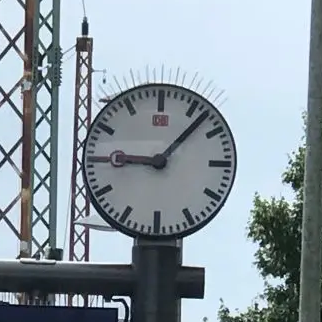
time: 9:07
